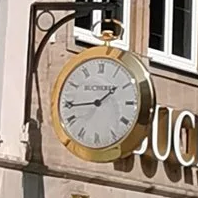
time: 1:44
